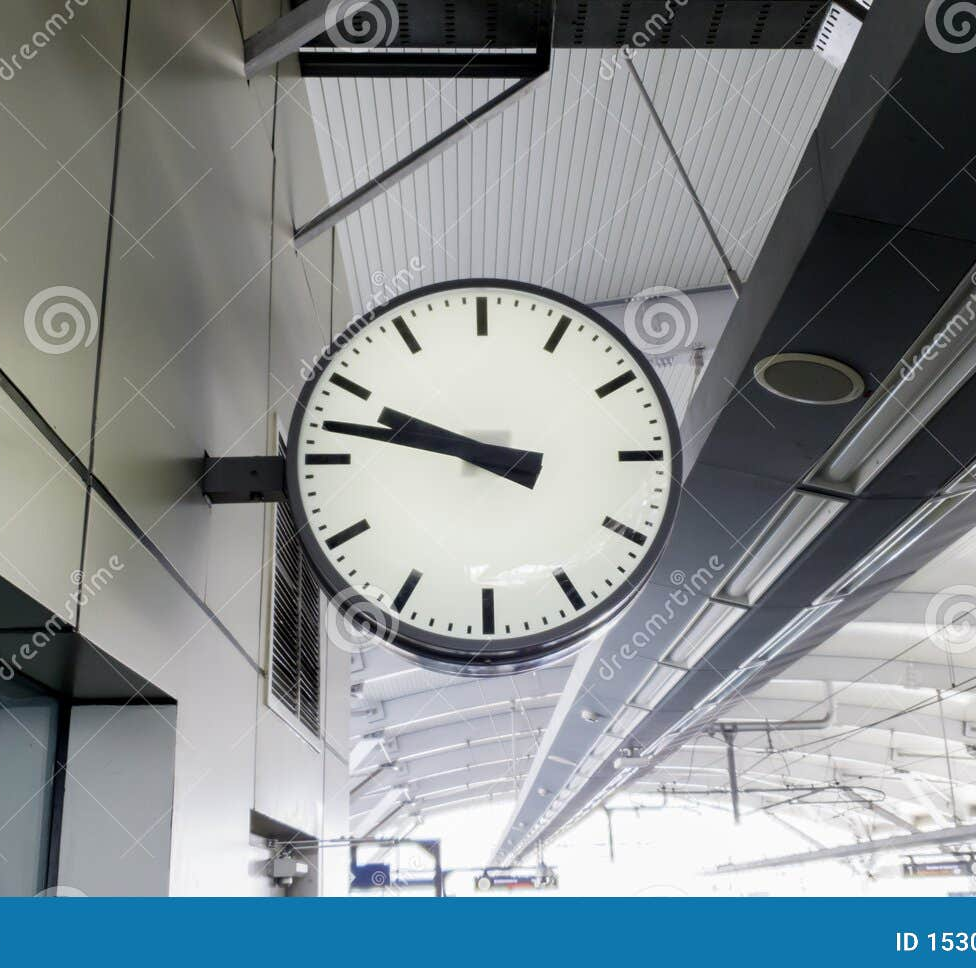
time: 9:47
